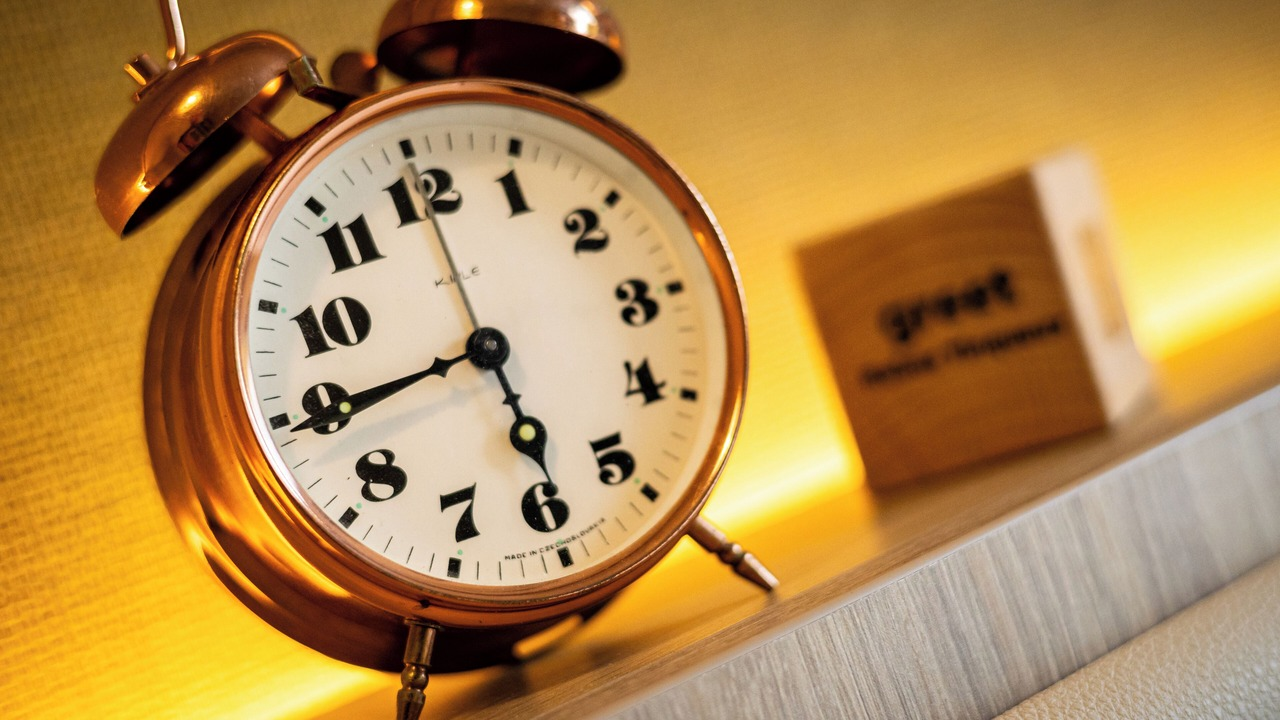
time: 5:44
